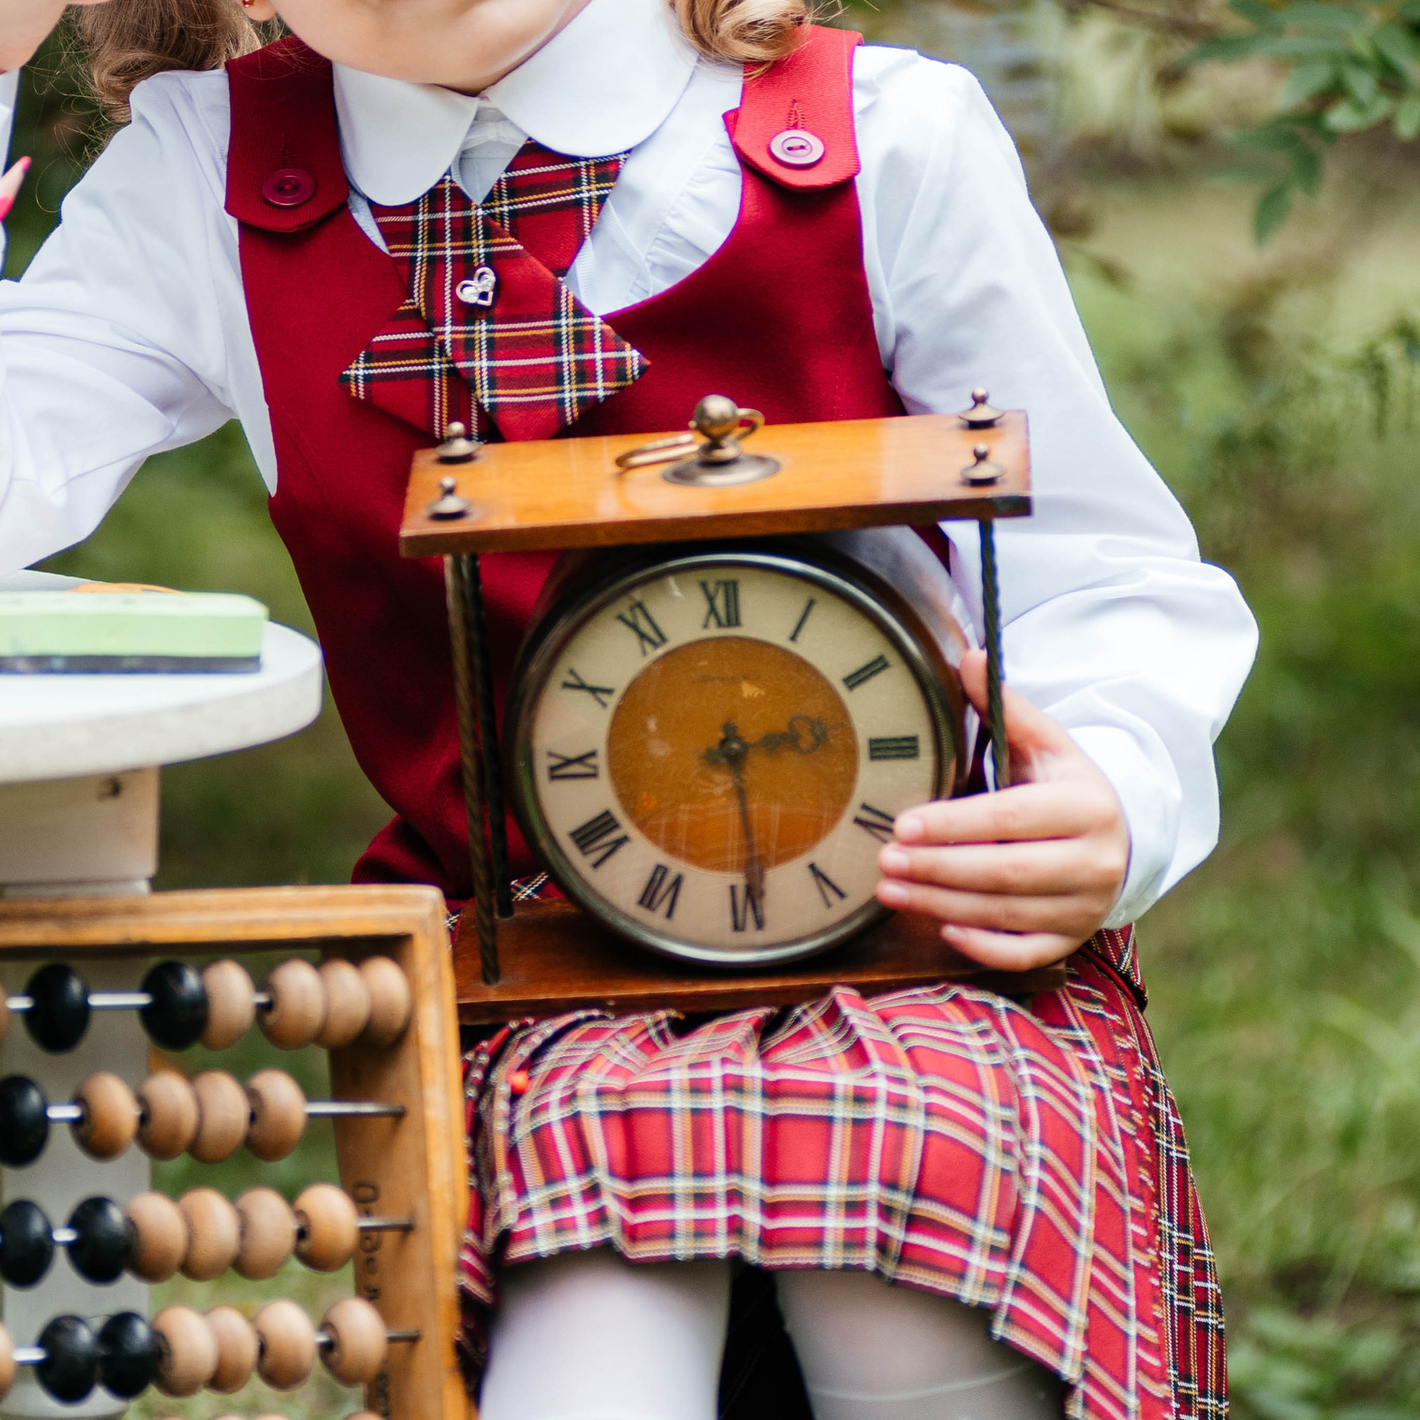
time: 2:29
